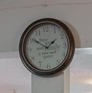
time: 1:50
